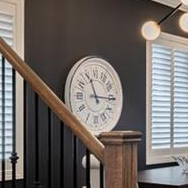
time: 11:15
